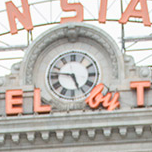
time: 4:46
